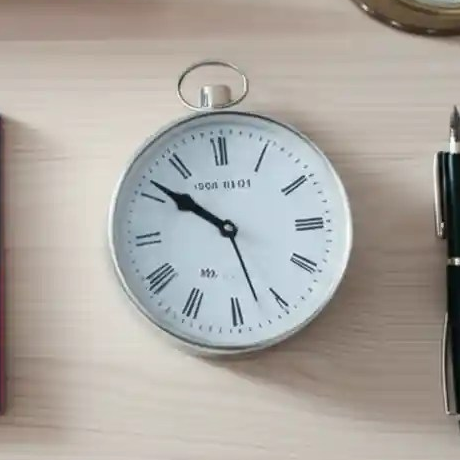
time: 9:51
